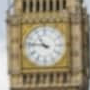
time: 10:46
